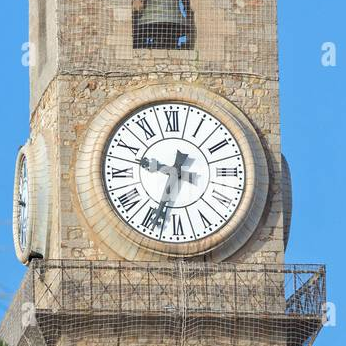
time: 9:33
